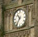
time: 10:36
